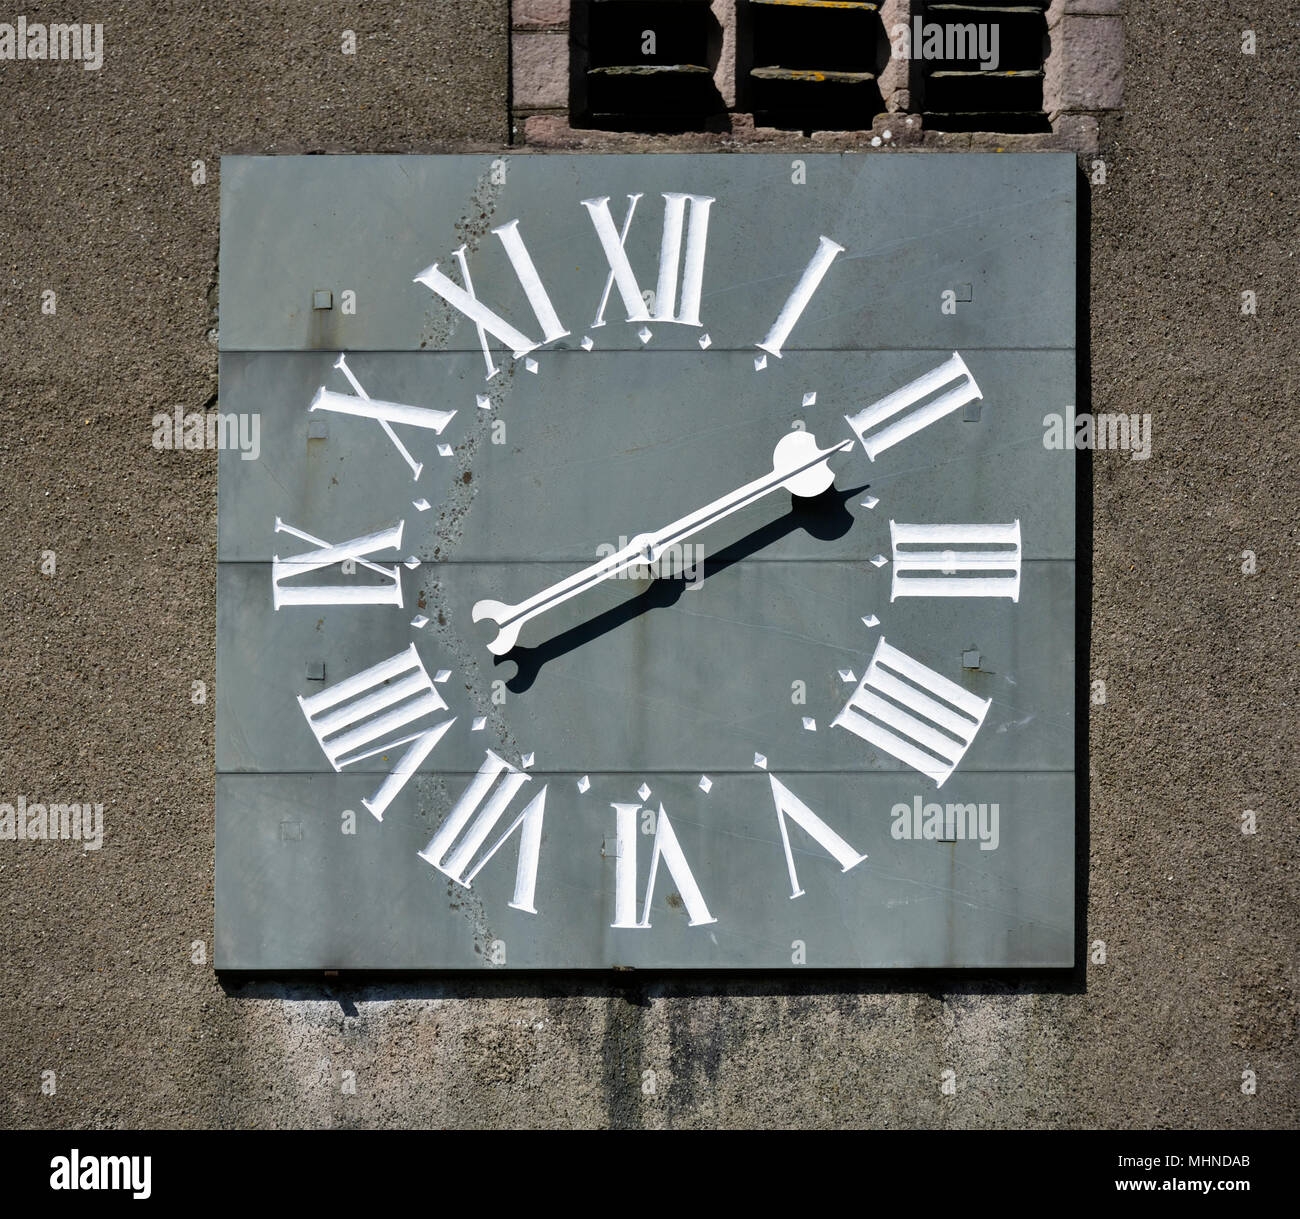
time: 2:10
